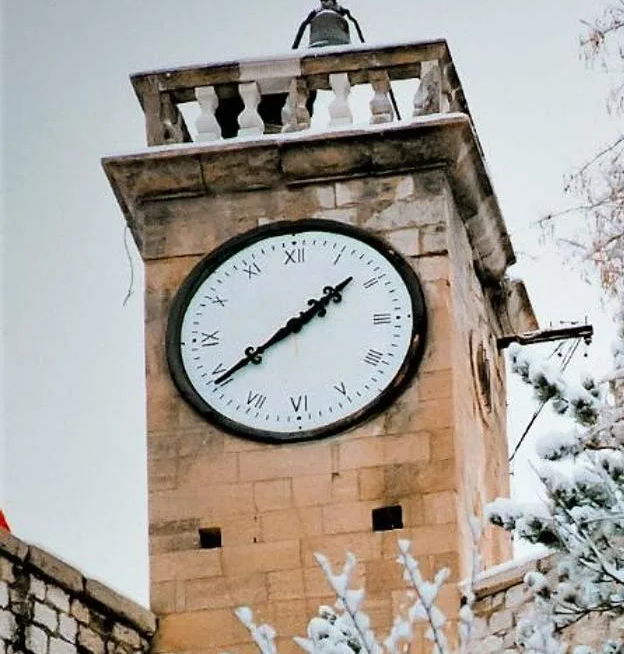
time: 1:39
